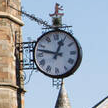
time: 12:47
